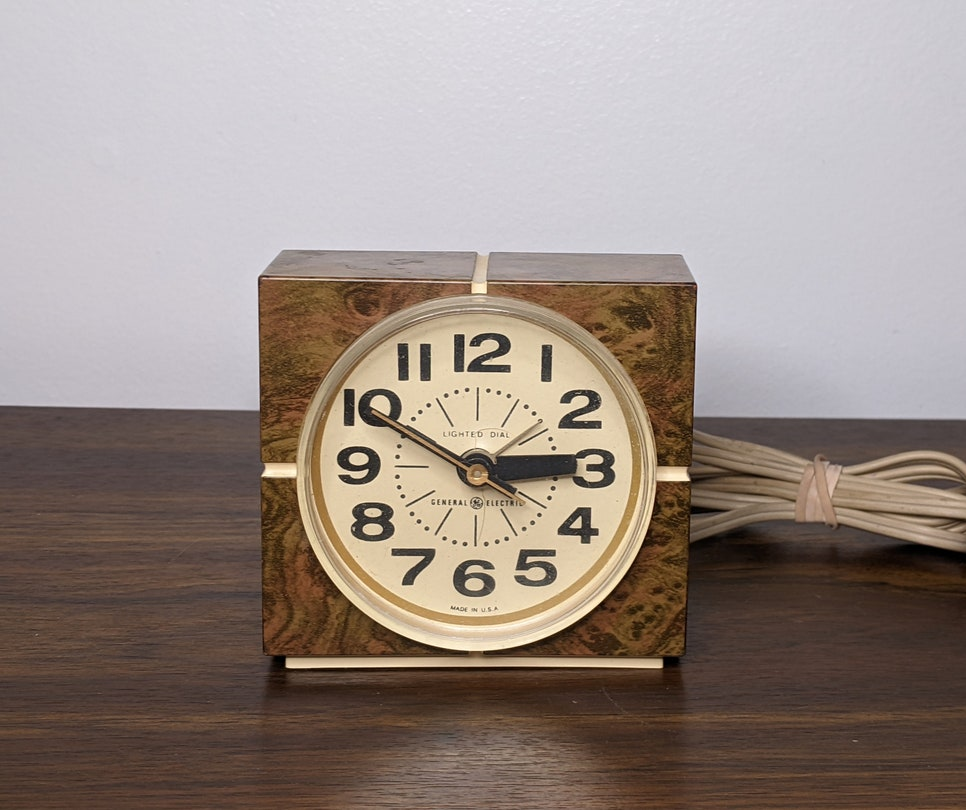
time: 2:49
